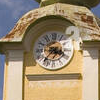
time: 3:36
